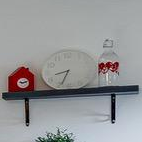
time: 8:33
